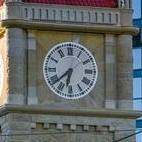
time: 6:38
